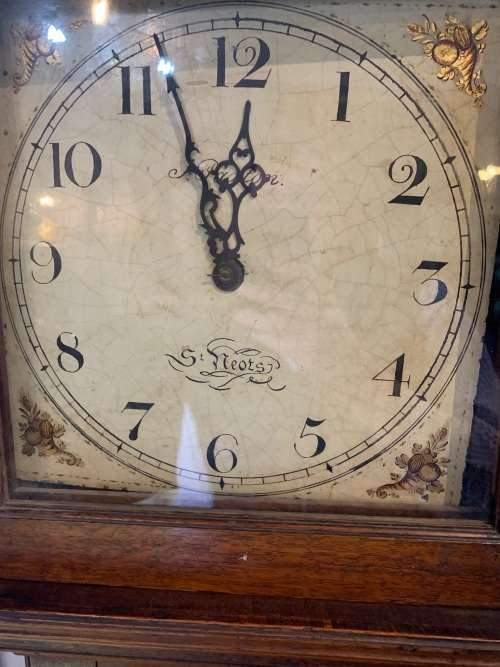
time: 11:56
